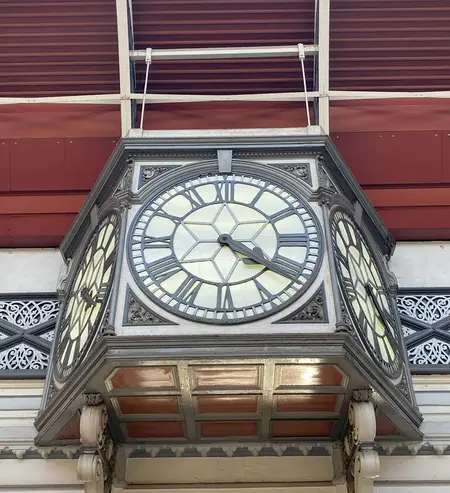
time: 4:20
